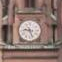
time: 9:26
